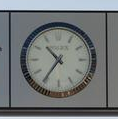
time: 10:35
